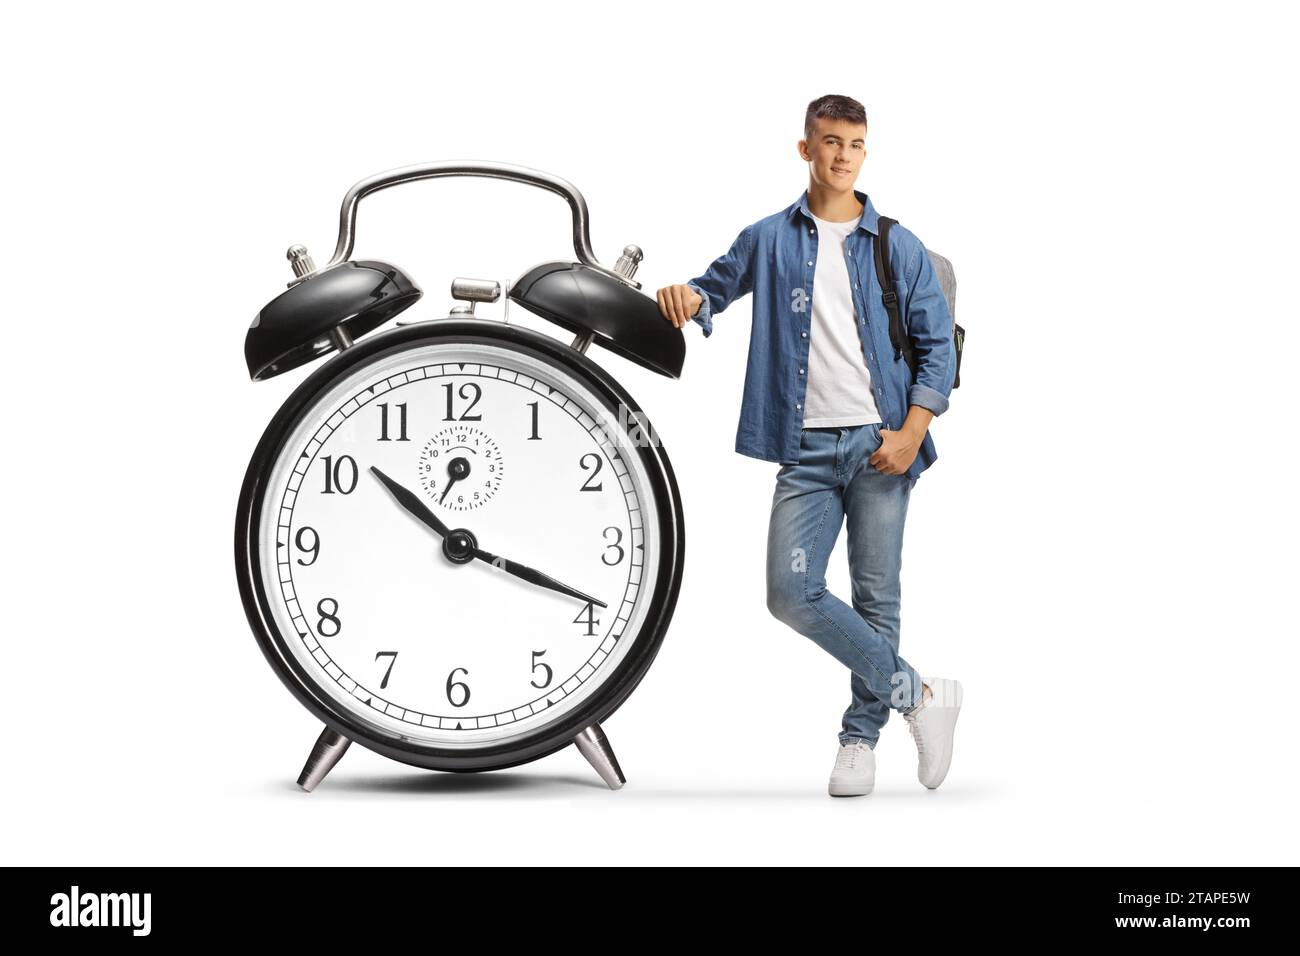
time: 10:18
